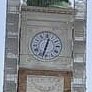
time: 12:32
